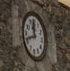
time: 11:41
